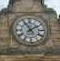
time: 1:54
